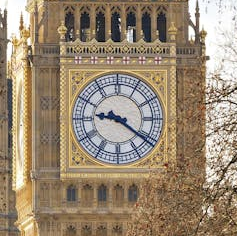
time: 9:21
